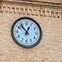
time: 12:53
